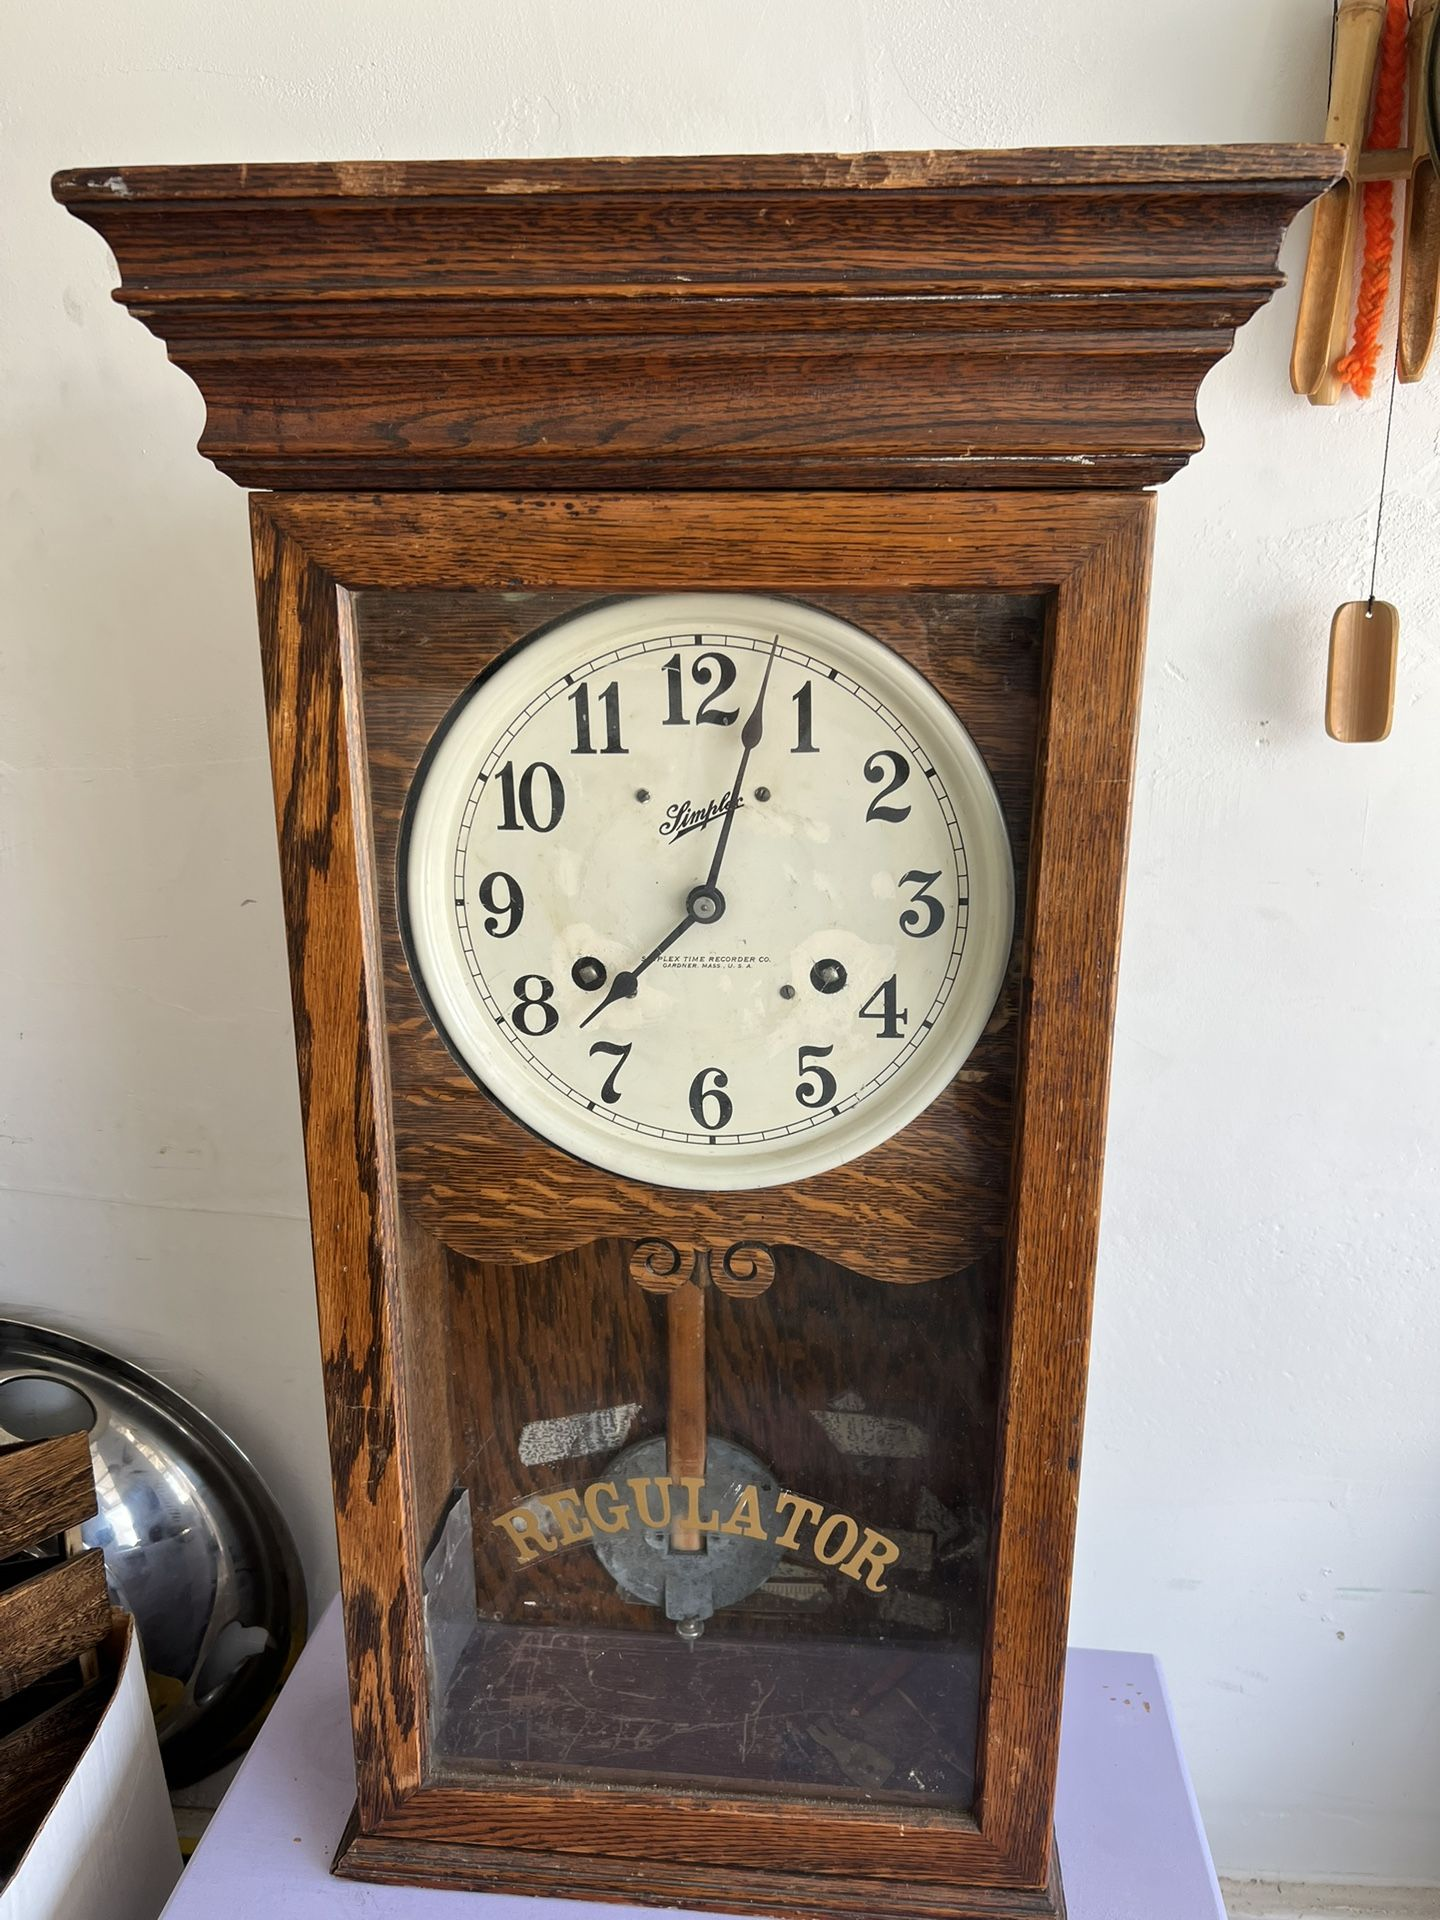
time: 8:03
